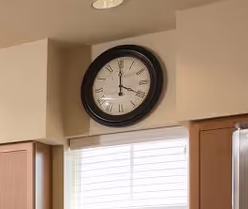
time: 4:00
